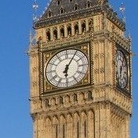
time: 6:05
